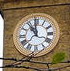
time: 10:59
